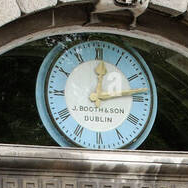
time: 12:13
